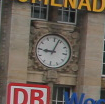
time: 9:03
